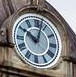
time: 10:02
